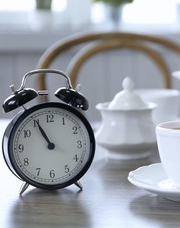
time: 10:55
